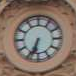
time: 6:34
